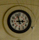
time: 2:57
